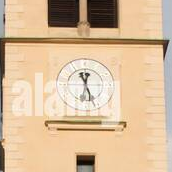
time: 12:26
